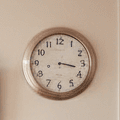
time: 3:17
